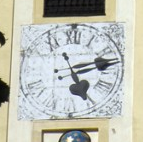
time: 5:12
